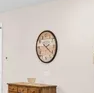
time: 4:21
